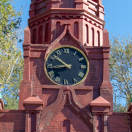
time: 8:51
